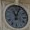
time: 11:03
